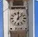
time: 12:07
